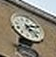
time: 2:23
